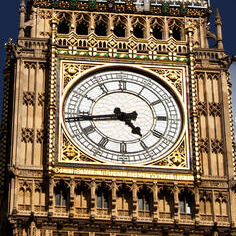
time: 4:43
